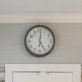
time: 5:01
